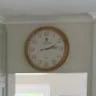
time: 2:13
